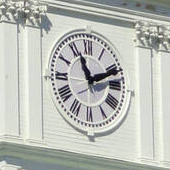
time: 11:11
